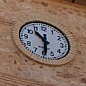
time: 10:30
